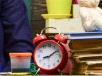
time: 8:09
